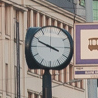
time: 3:48
